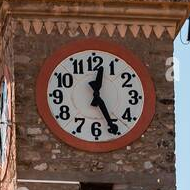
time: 12:25
